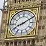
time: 8:09
